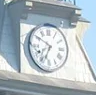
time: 6:50
